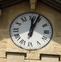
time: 12:03
